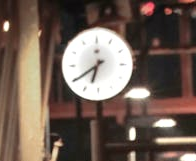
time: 6:39
